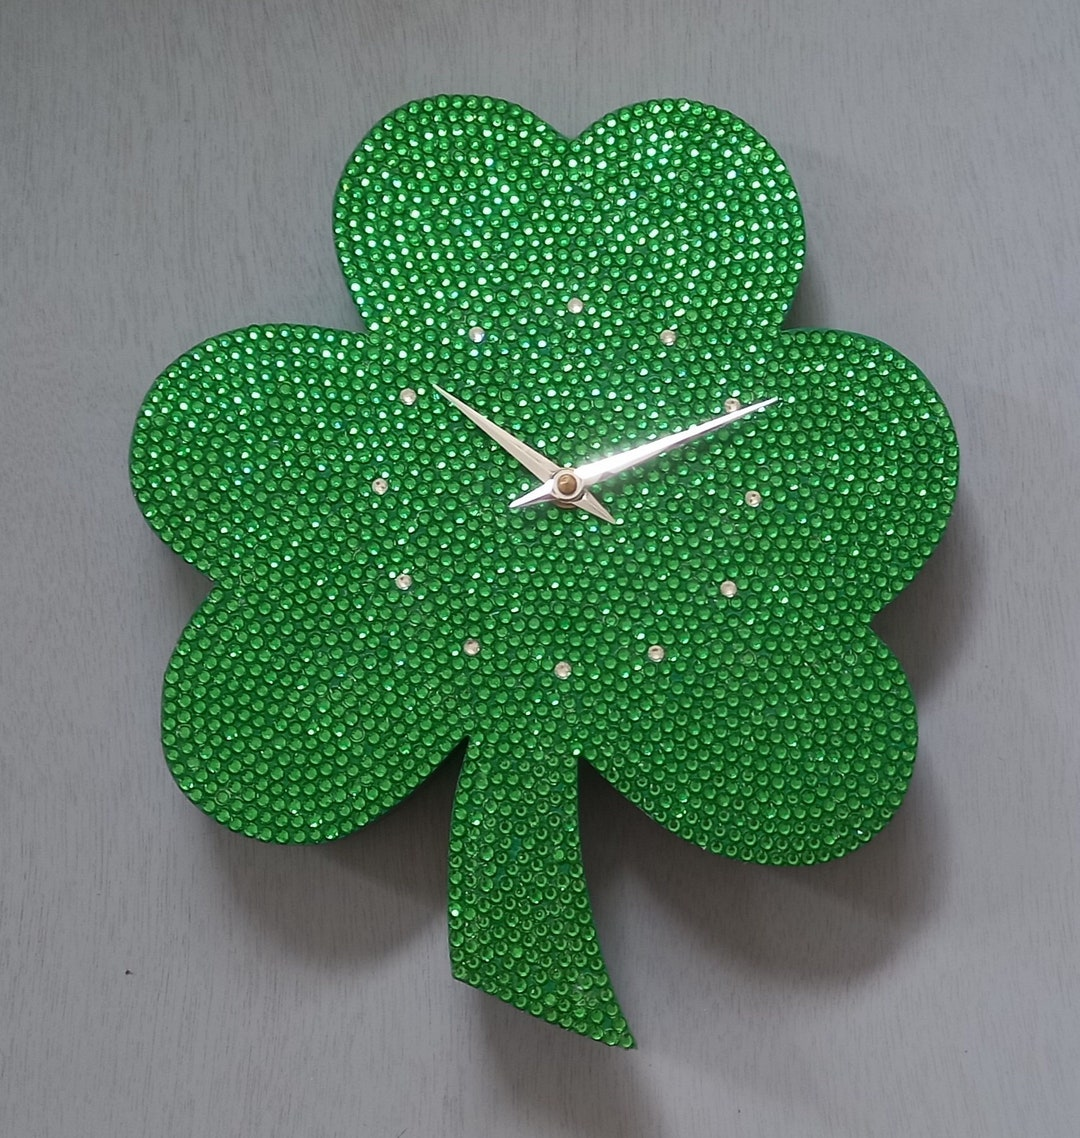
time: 10:11
